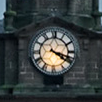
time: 4:17
